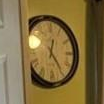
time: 12:23
